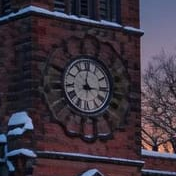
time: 3:01
